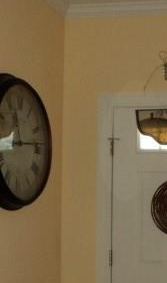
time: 11:13
